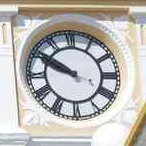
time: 9:50
